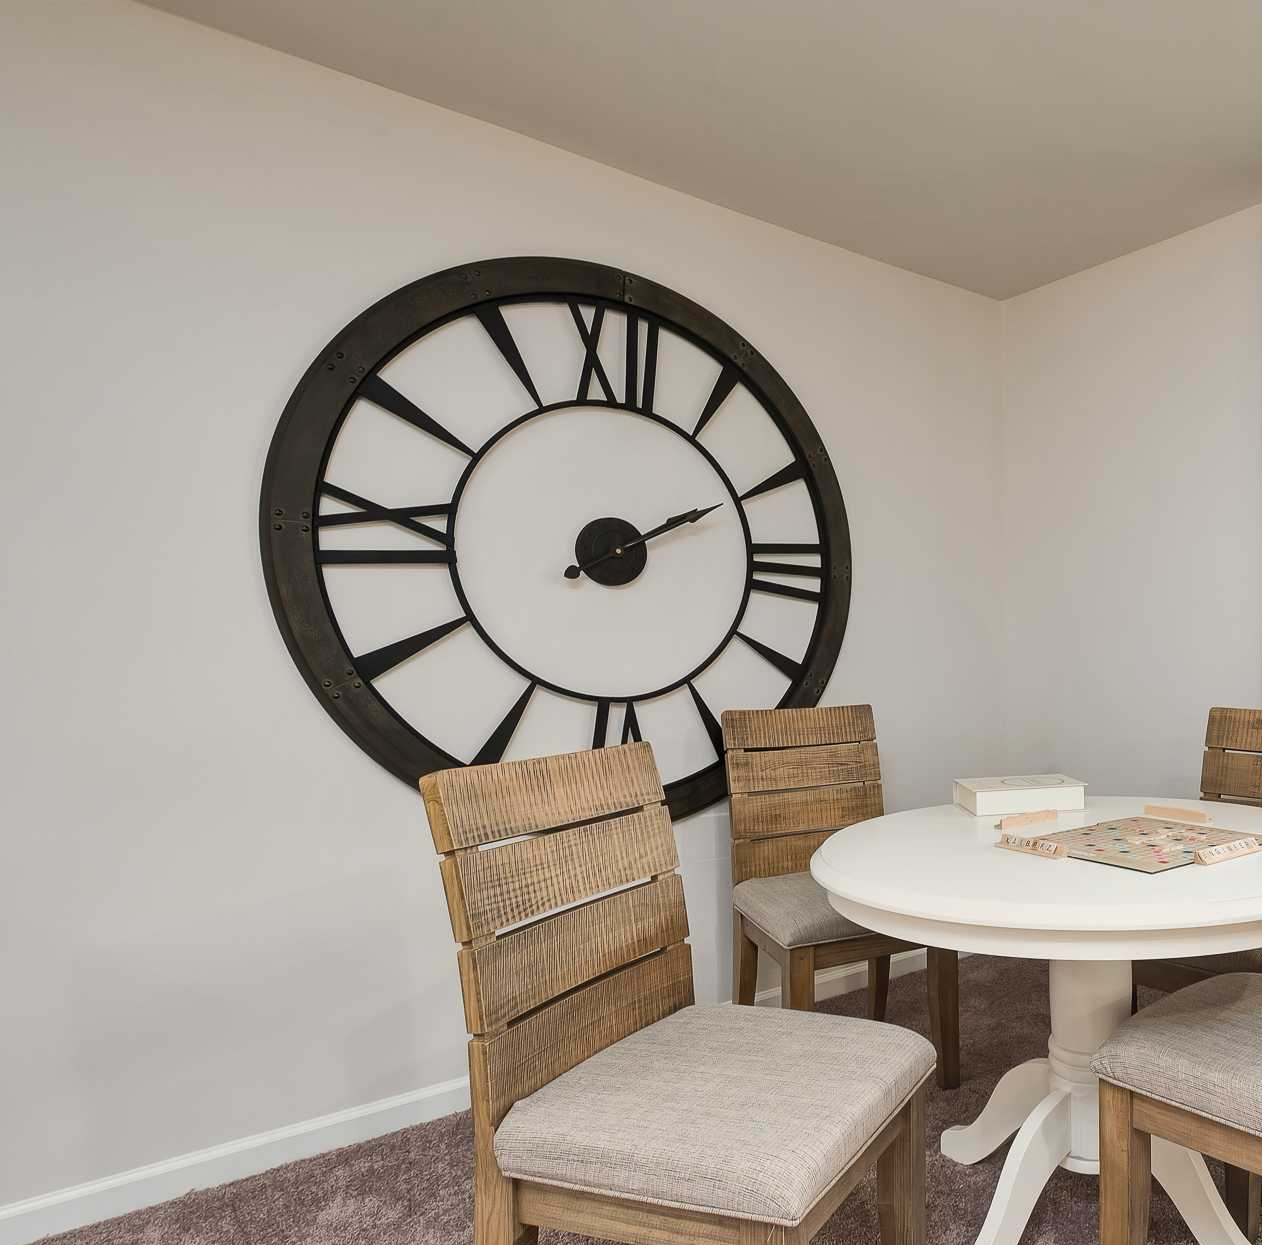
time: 2:10
